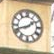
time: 1:41
